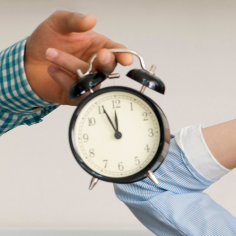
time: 11:55
